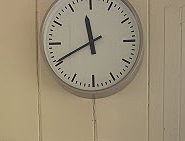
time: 11:40
